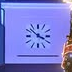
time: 3:52
